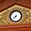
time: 7:37
